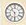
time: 10:30
